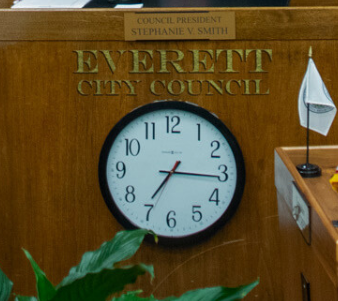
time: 7:15
